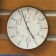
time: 4:56
